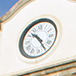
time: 10:24
